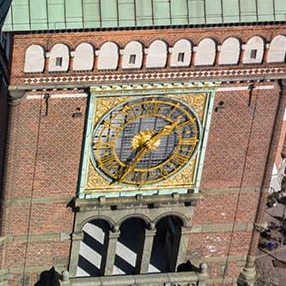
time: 1:35
